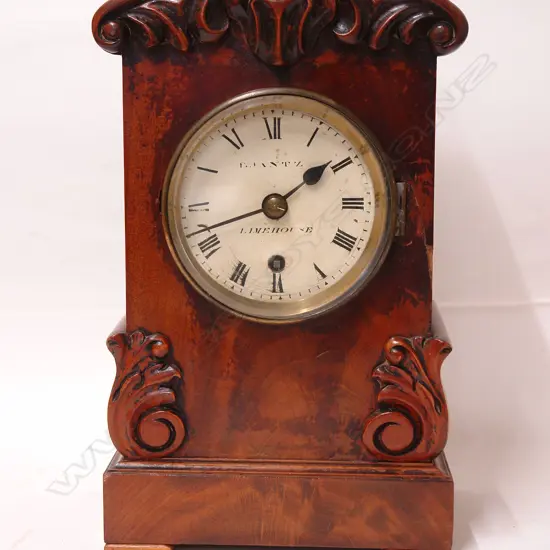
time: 1:42
